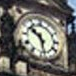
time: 10:28
